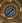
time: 1:37
